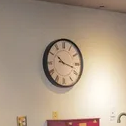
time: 10:17
